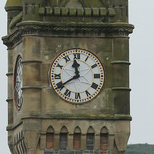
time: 11:40
